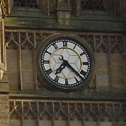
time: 7:22
